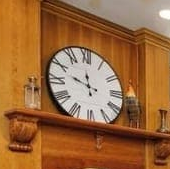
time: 11:48
